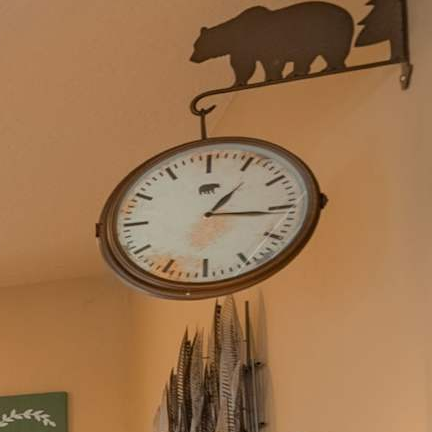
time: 1:15
